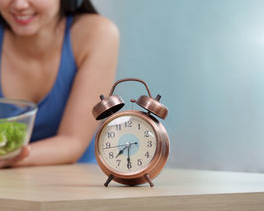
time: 7:30
